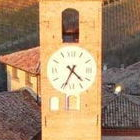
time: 4:34
